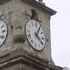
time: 4:04
